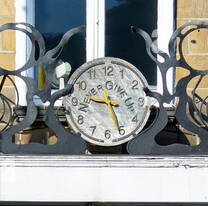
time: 9:26
